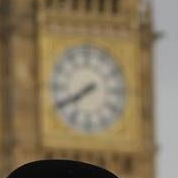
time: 7:40
